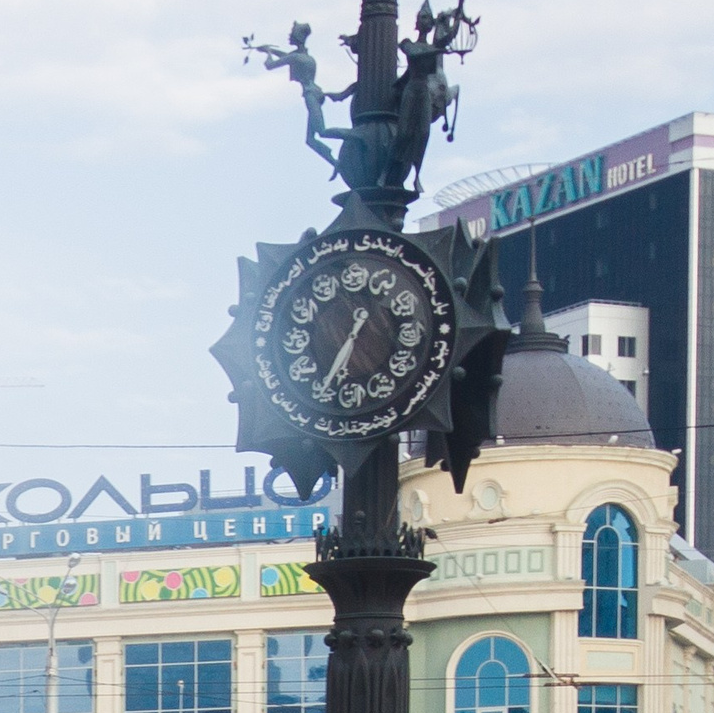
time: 6:34
